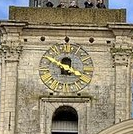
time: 3:50
